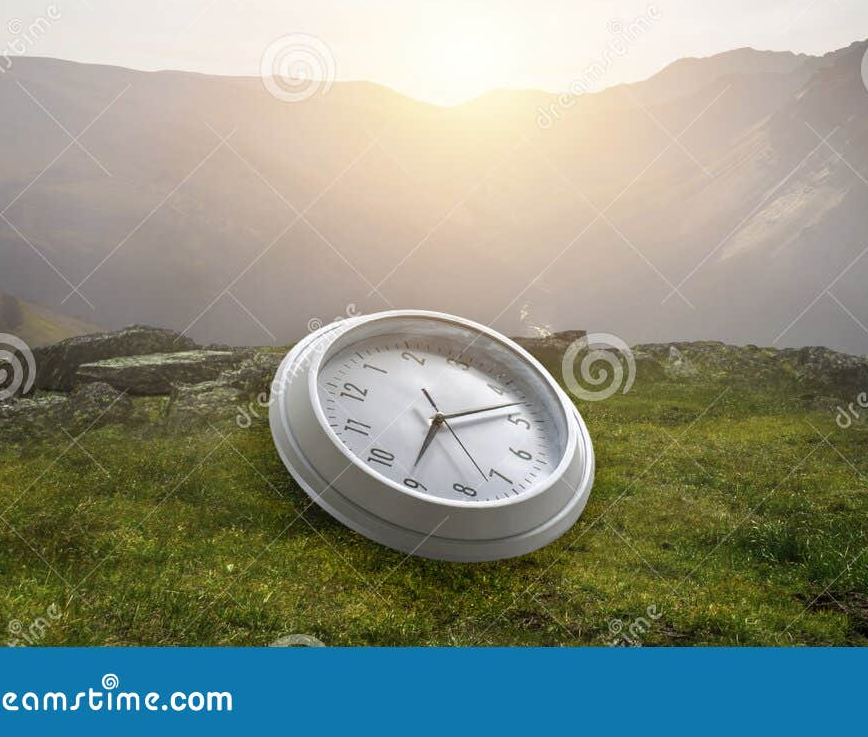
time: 2:35
